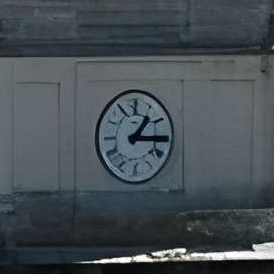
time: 1:15
